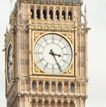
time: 3:25
